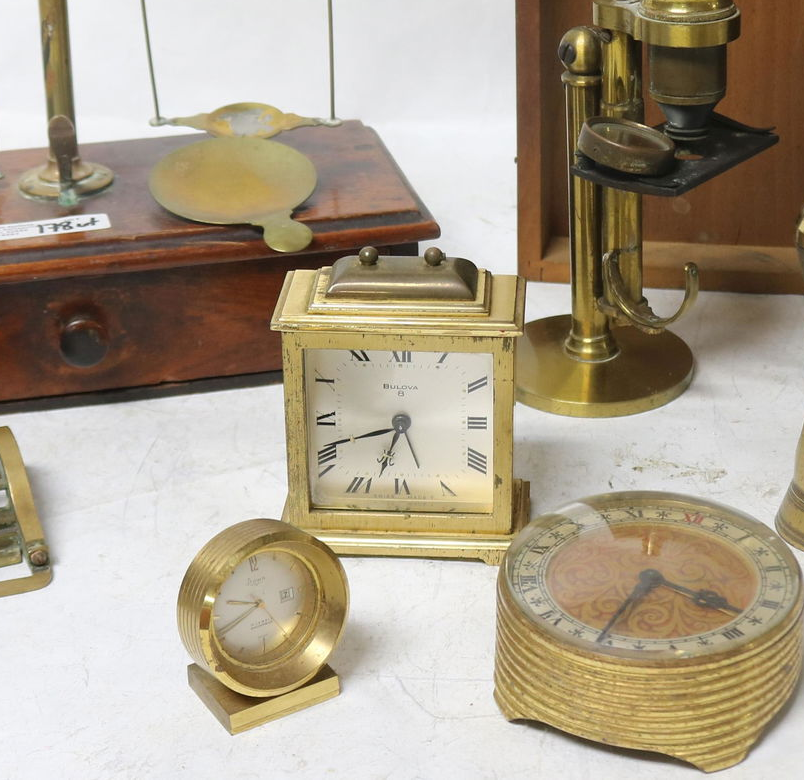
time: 6:41
